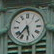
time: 5:37
